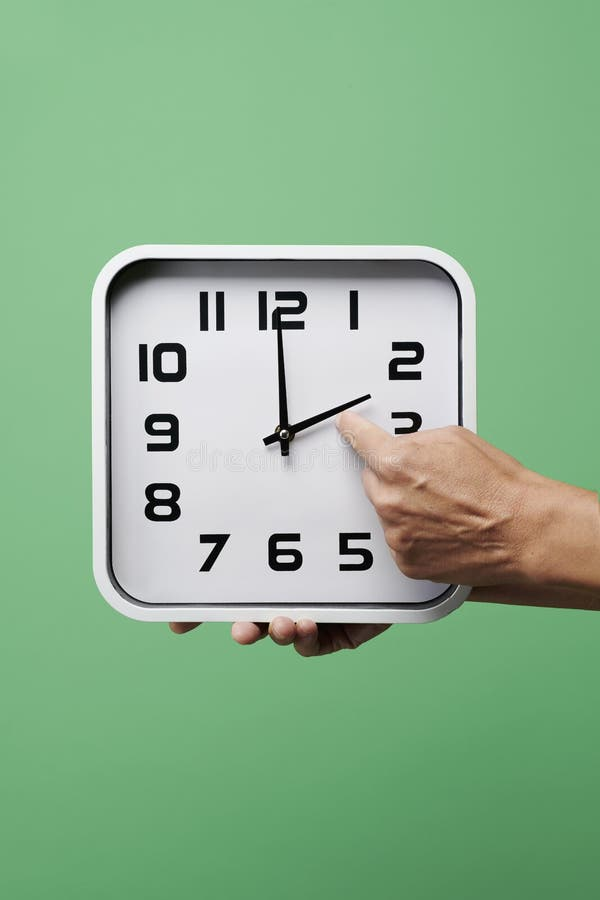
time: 2:00
